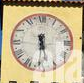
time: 5:30
